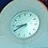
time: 8:40
